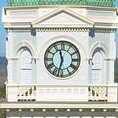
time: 11:32
